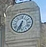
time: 6:34
